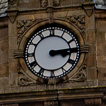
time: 3:14
